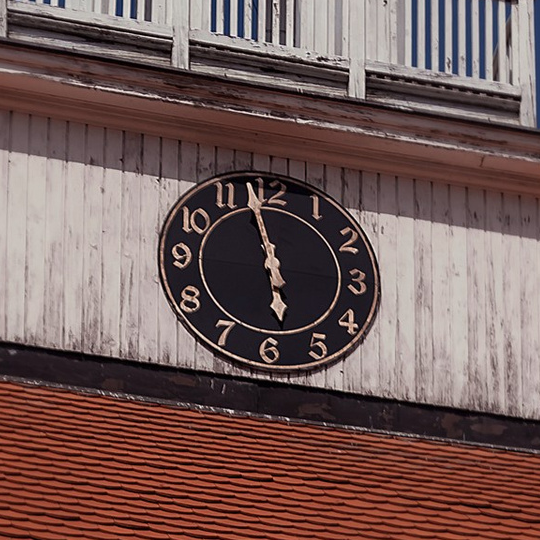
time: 5:57
